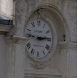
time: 2:46
